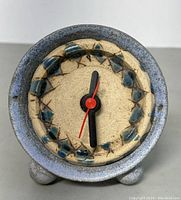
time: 12:28
